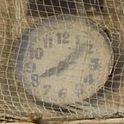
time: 8:07
